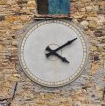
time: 4:09
